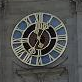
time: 11:35
